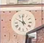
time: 9:58
